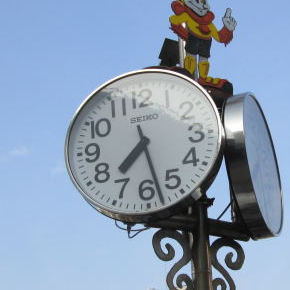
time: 7:28
